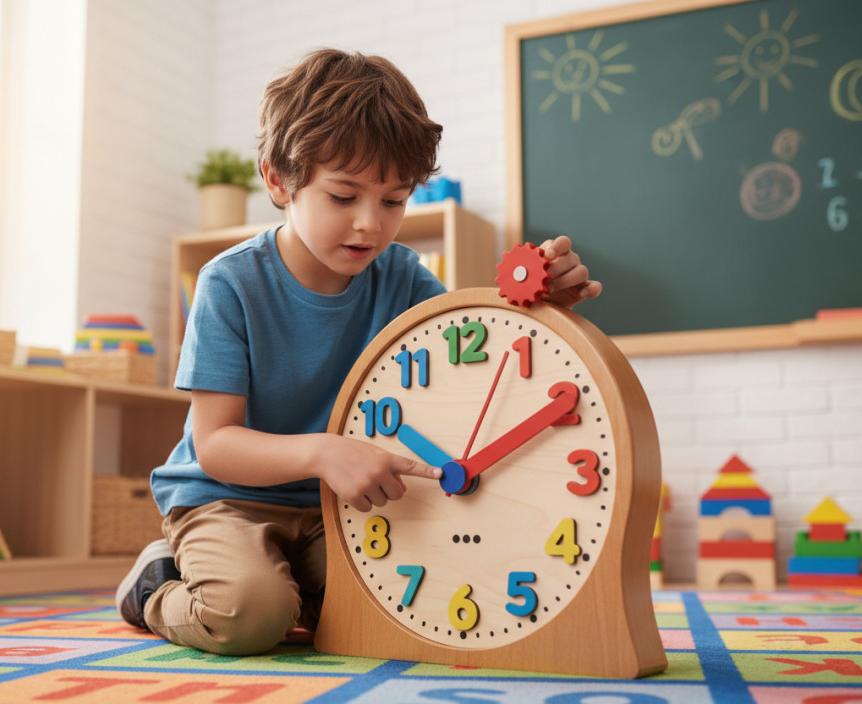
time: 10:09
